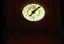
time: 7:07
